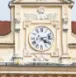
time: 4:12
